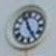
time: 4:56
